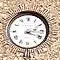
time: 2:18
